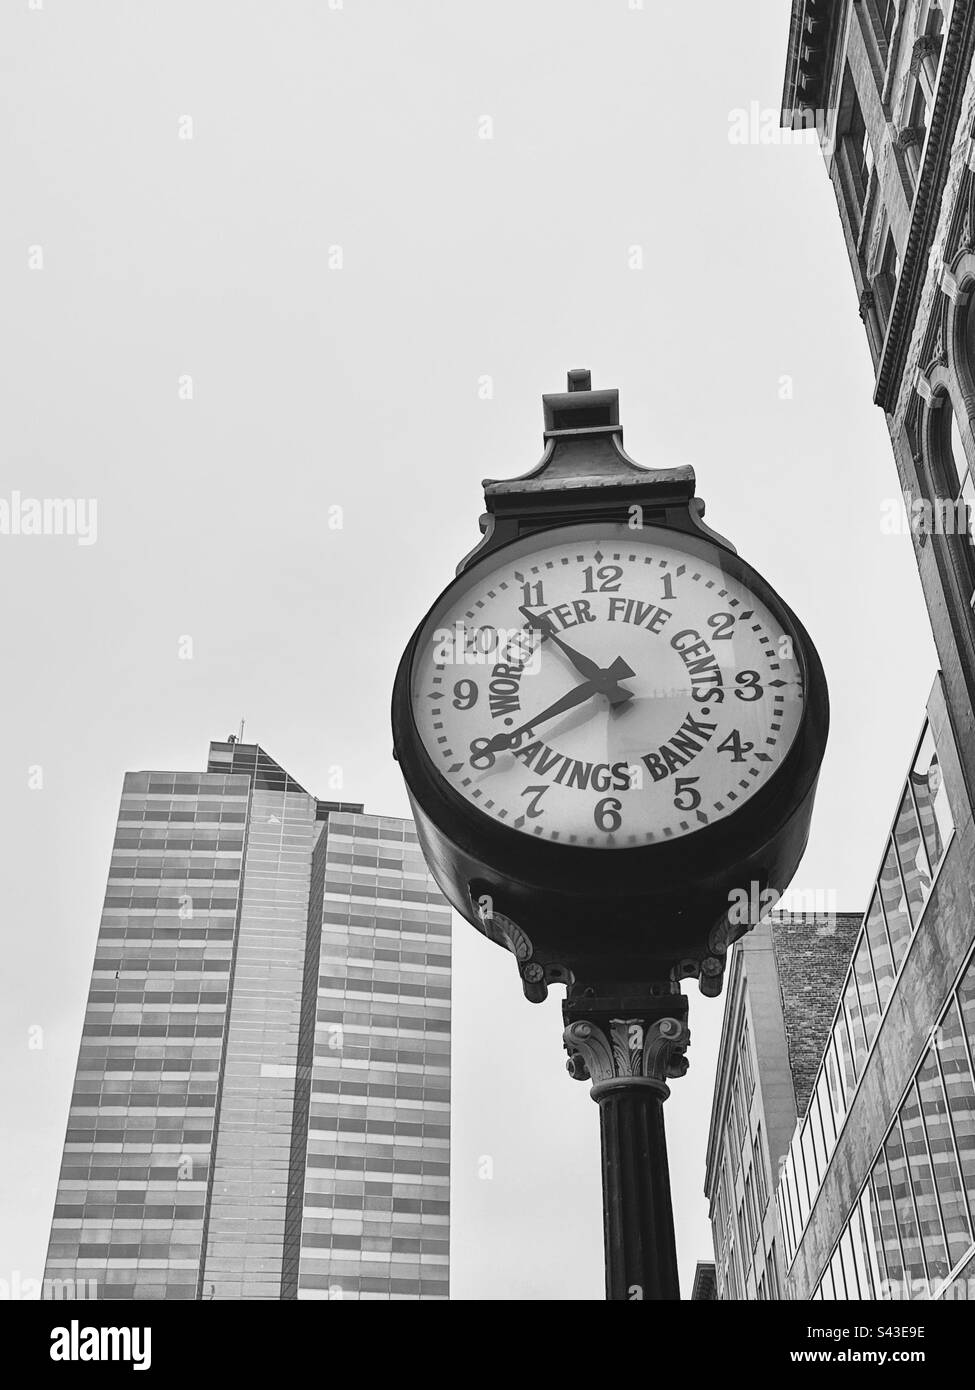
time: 10:40
